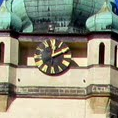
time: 12:09
